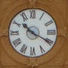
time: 10:19
